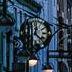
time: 12:22
